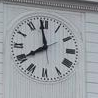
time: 7:58
